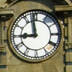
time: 8:58
